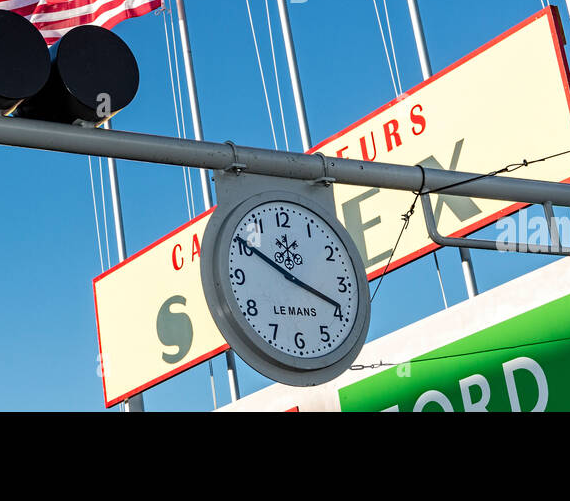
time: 3:50
